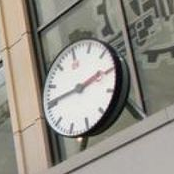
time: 2:45
